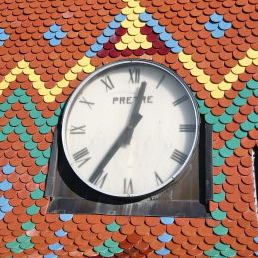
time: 12:35
